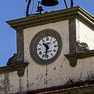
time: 10:32
